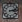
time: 3:12
